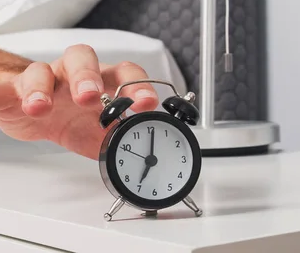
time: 7:01
